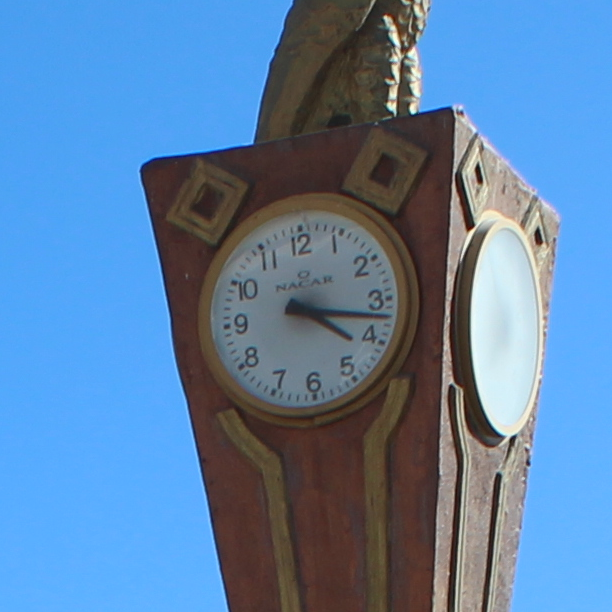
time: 4:17
